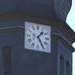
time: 1:24
